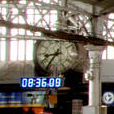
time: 8:36
